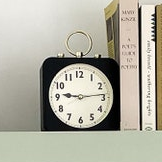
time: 9:13
